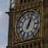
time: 1:03
